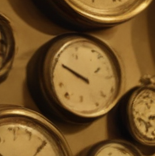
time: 9:50
